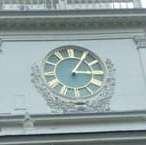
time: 3:04
